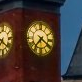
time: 7:20
